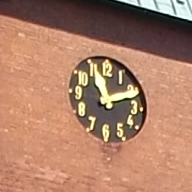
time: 11:11
